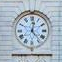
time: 12:23
